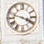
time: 3:47
